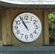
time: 10:55
